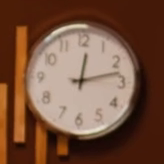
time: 12:12
